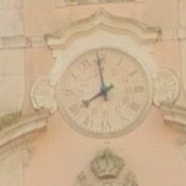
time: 7:58
